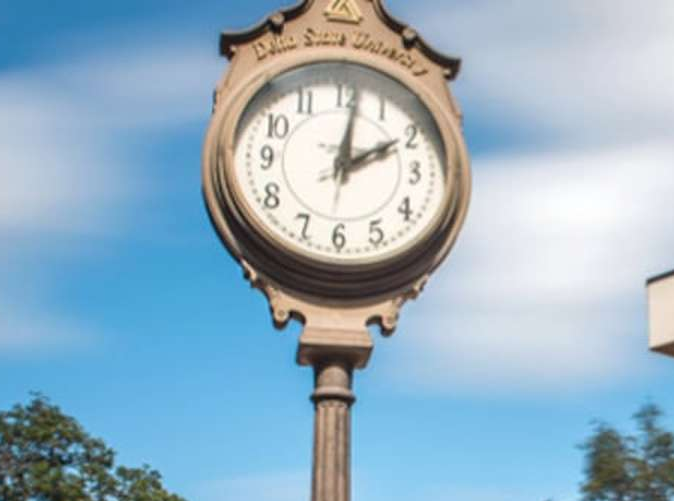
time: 2:02
